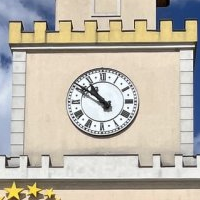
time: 10:50
